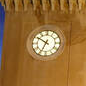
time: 6:50
